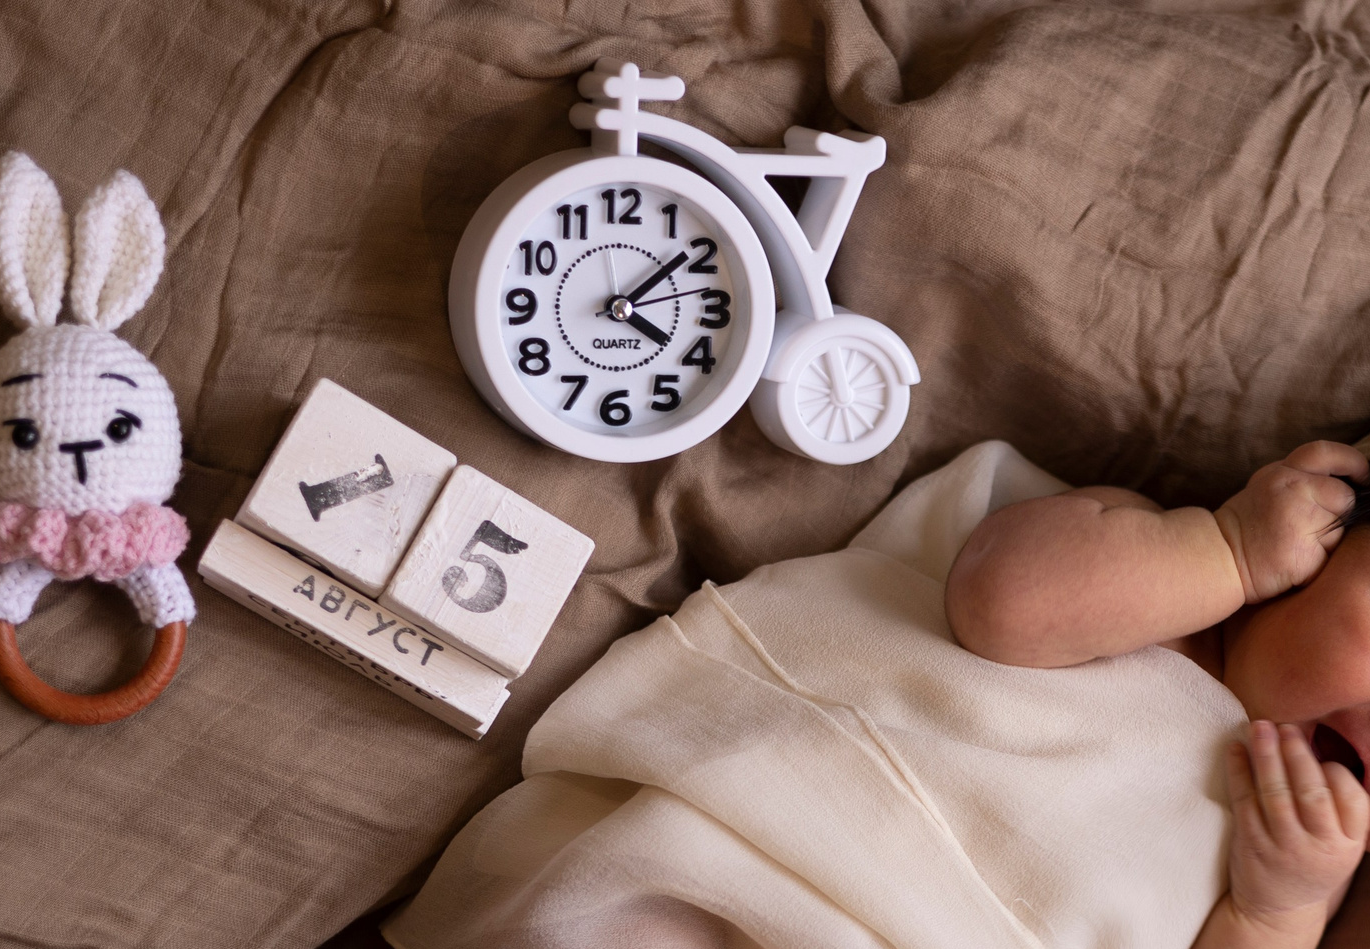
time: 4:08
